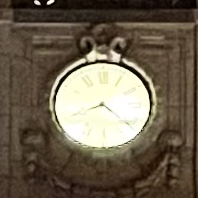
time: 8:21
